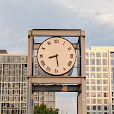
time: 8:28
